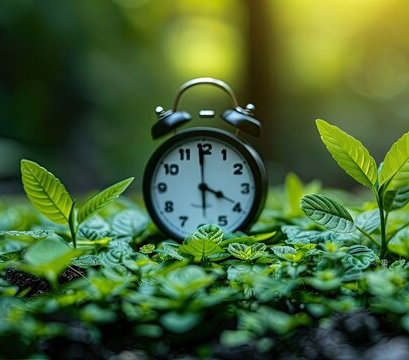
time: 3:59
